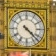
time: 4:22
